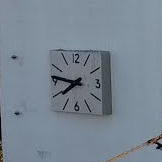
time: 7:46
